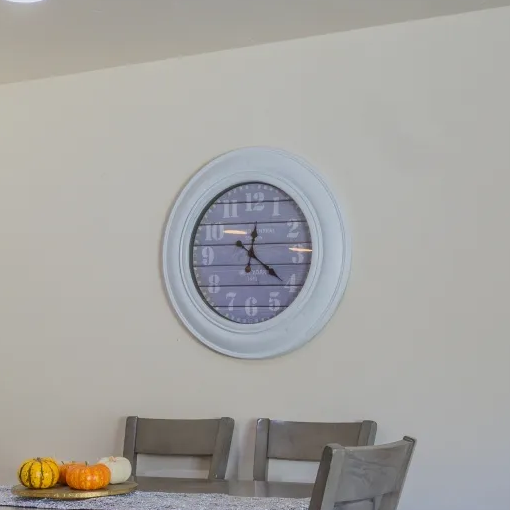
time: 12:21
